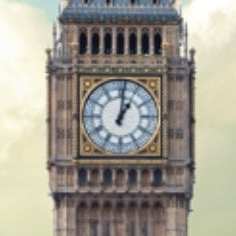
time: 1:01
